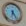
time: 6:23
